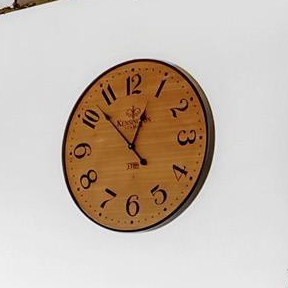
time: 12:52
